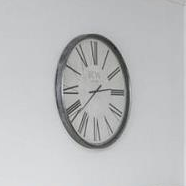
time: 2:38
